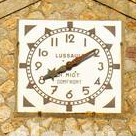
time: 8:09
